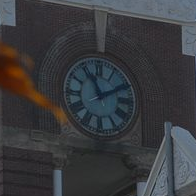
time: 11:10
